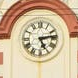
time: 5:13
